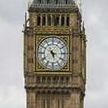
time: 5:16
